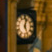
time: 12:26
